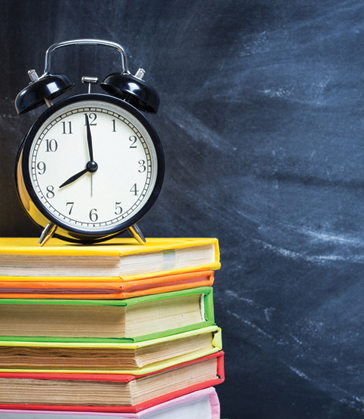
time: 7:59
